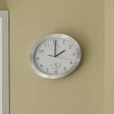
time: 2:00
